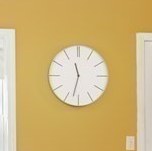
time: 11:32
